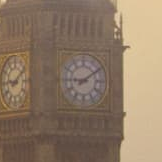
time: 9:09
